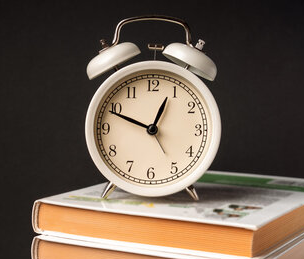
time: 12:48
